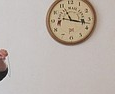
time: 11:16
